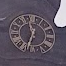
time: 11:33
